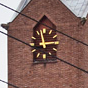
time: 2:58
